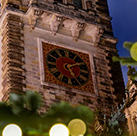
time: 5:09
